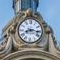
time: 8:16
